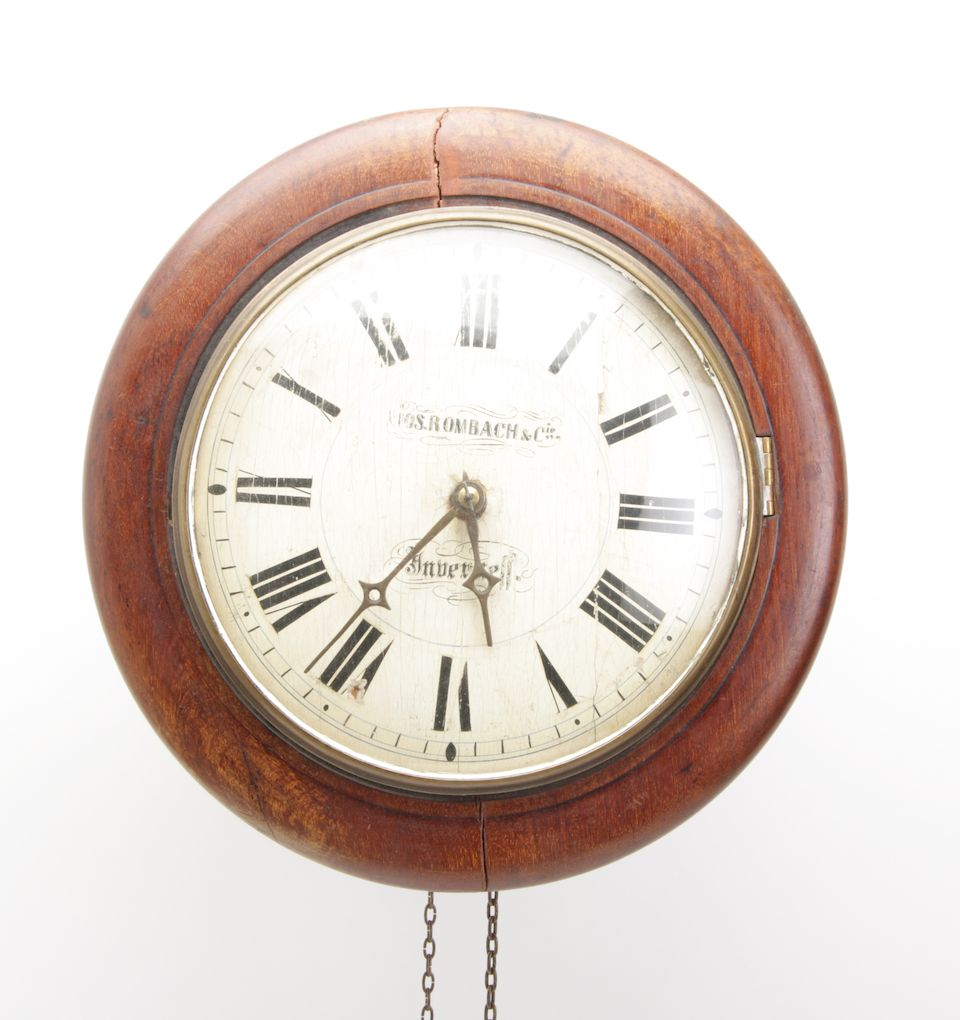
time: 5:36
